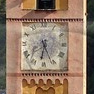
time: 6:26
